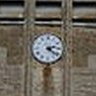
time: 2:21
